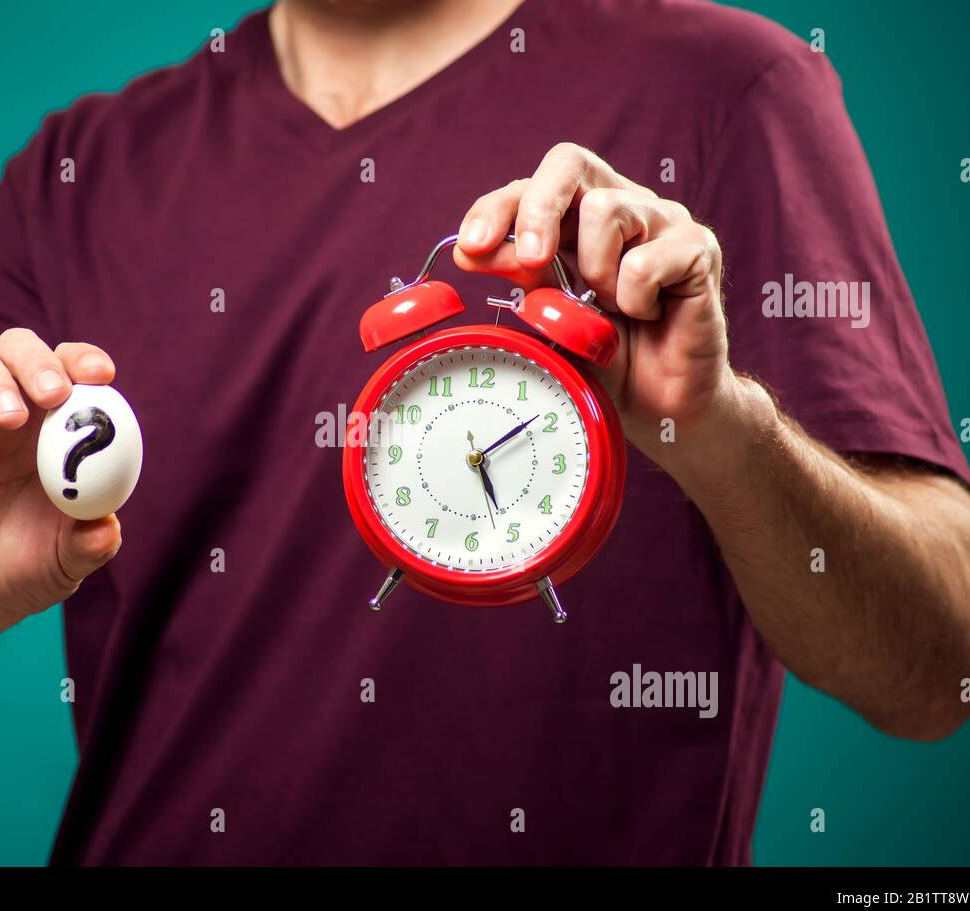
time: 5:08
